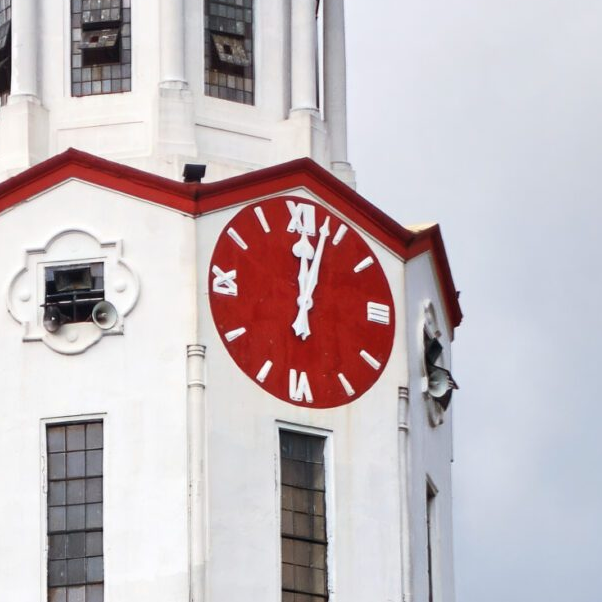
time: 12:03
